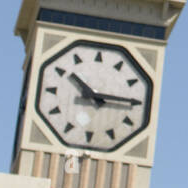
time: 10:14
